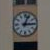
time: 3:04
